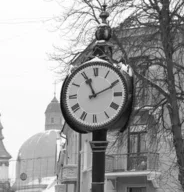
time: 11:10
